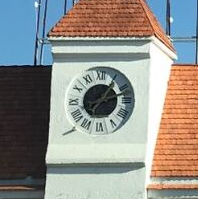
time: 1:11
